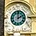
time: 2:00
